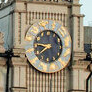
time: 8:38
